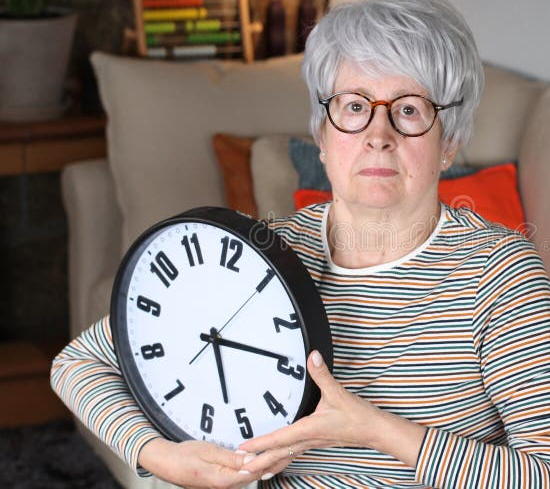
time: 5:14
